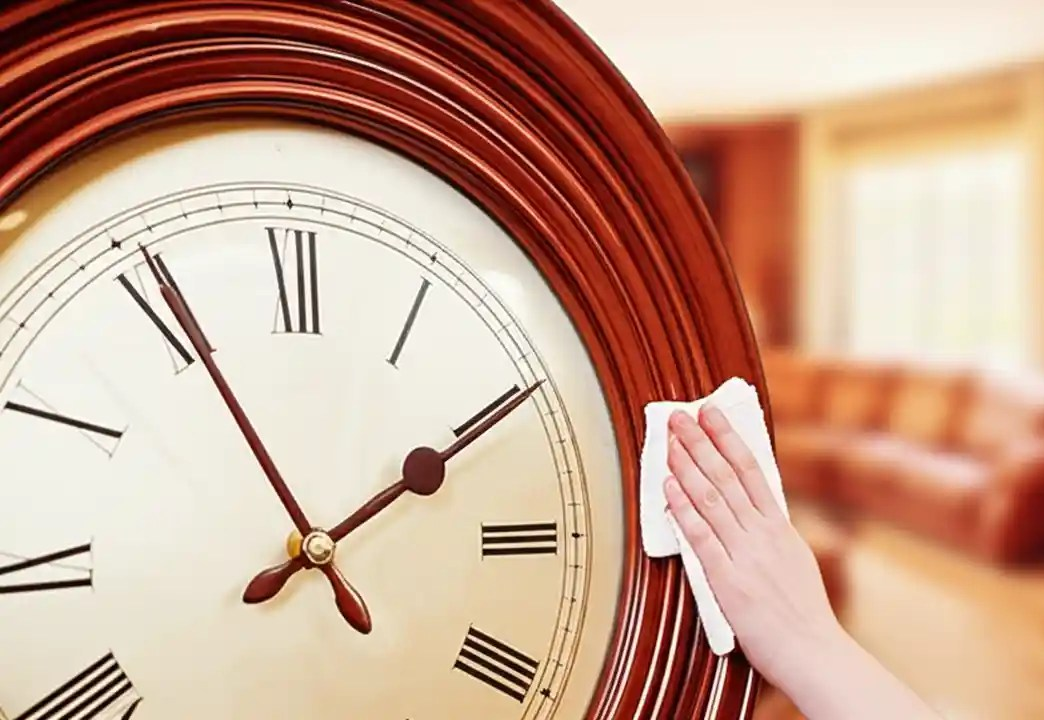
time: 1:55
